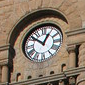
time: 12:51
